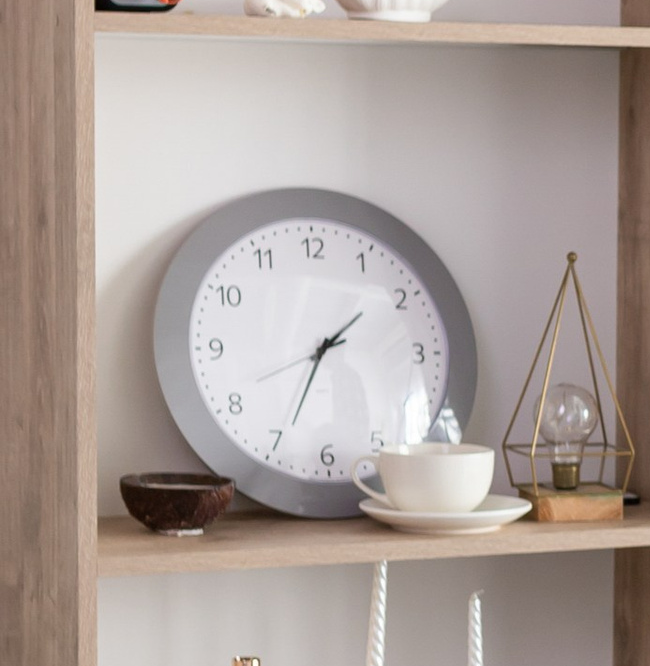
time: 1:34
